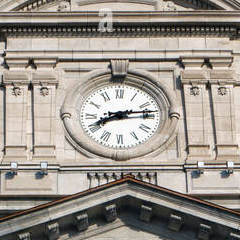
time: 8:13
